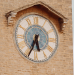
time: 5:34
